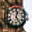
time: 12:24
